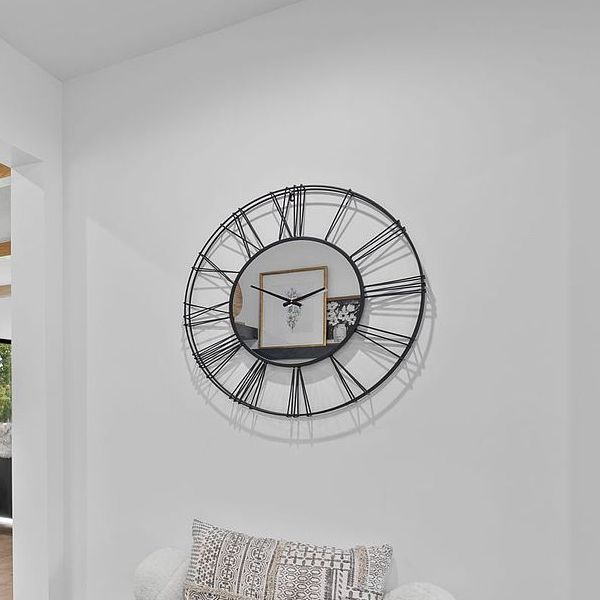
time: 2:50
